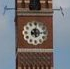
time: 12:14
